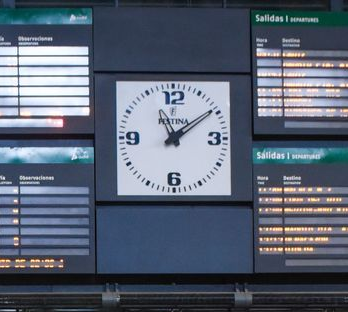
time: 11:09
